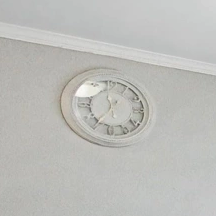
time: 11:35
